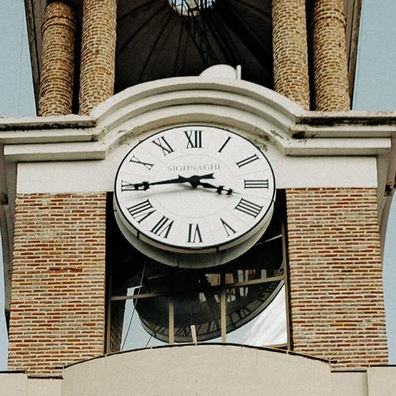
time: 3:44
